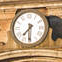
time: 7:30
